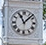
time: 11:07
